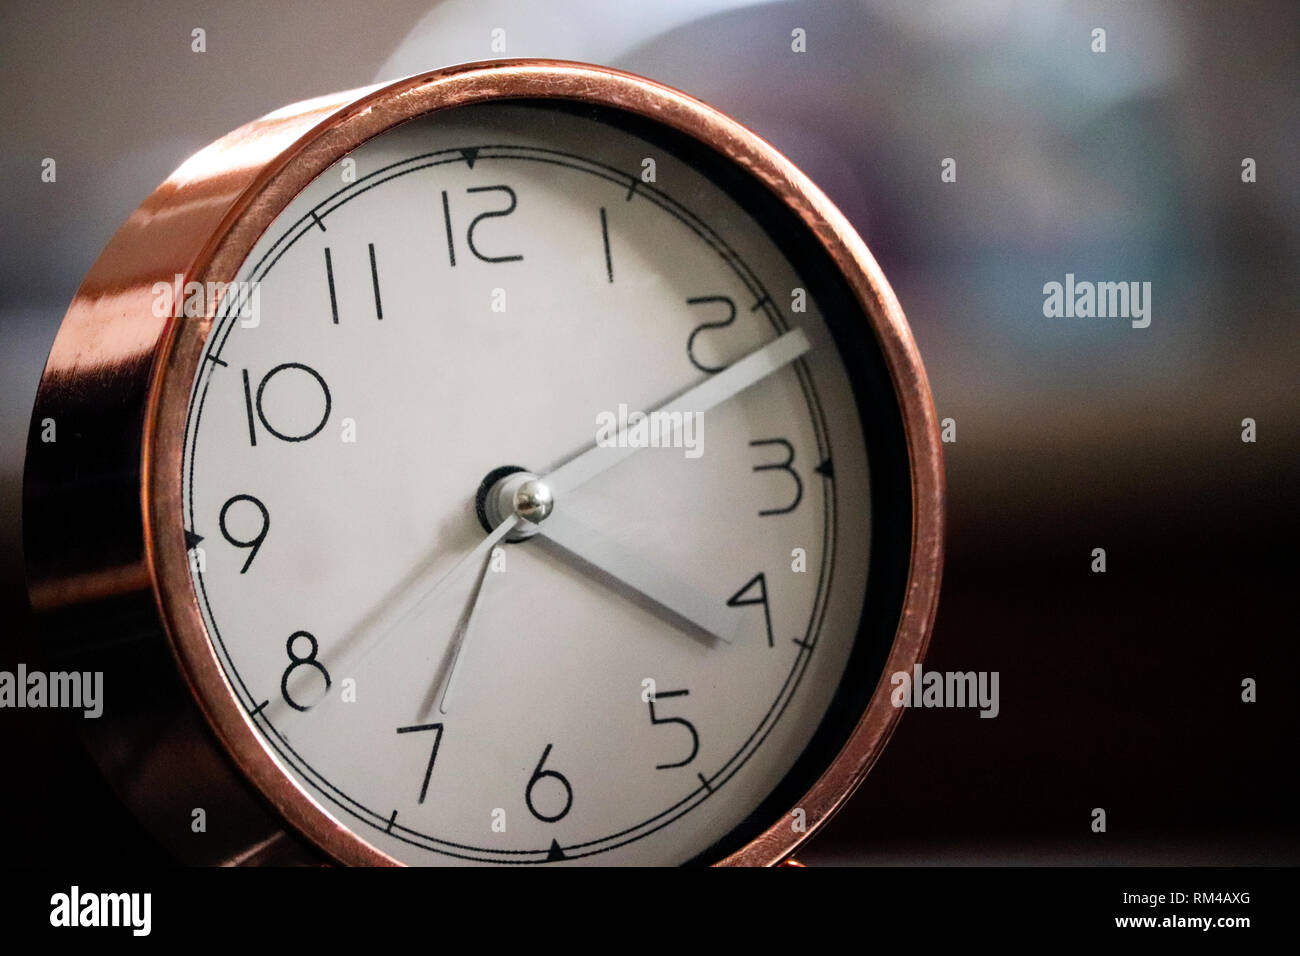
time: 4:11
